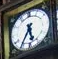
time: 5:35
